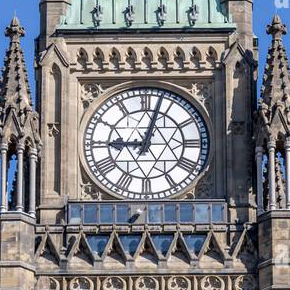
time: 9:02
